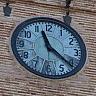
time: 11:21
